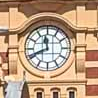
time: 11:41
